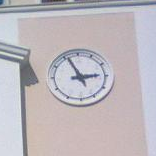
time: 2:56
